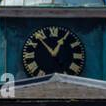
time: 12:53
